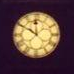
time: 11:49
